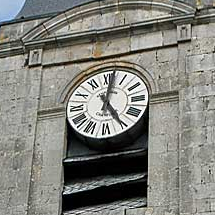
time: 5:01
